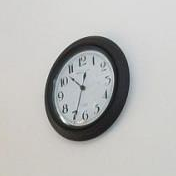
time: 10:34
